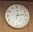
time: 12:13
